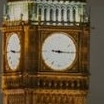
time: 9:15
